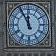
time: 11:55
